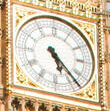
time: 5:23
